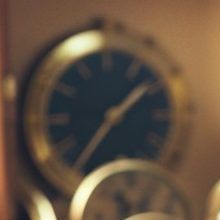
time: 1:36
